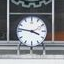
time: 3:47
